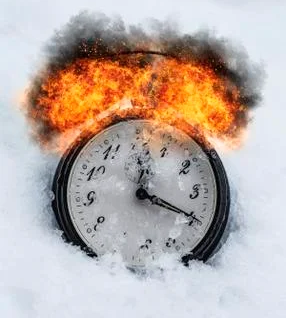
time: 12:19
